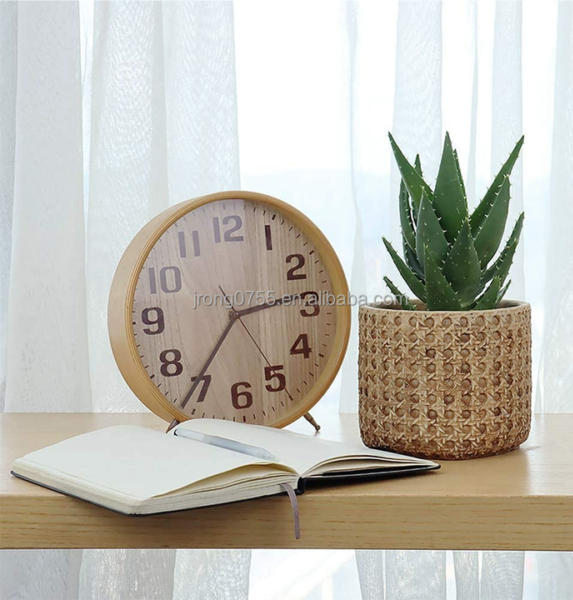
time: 2:36
